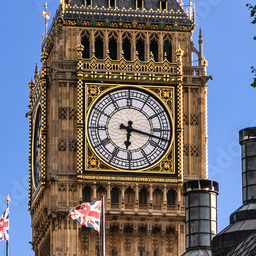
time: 6:17
